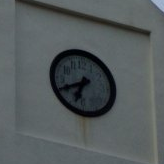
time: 6:40
